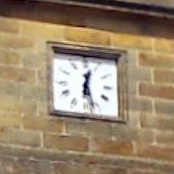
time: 12:27
